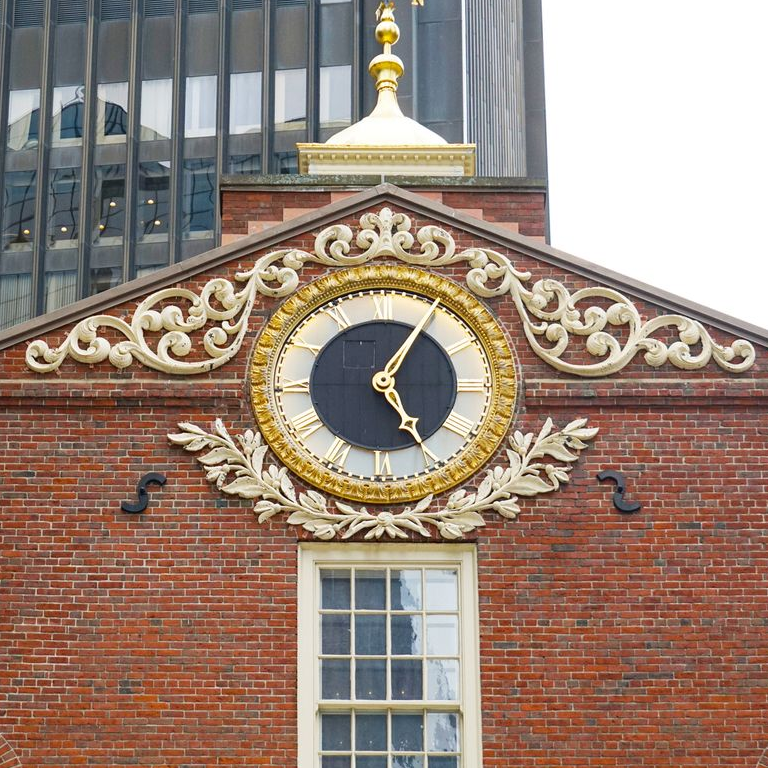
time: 5:05
